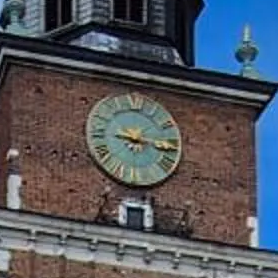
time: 9:16
